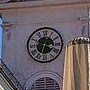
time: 3:34
